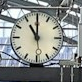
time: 11:00
